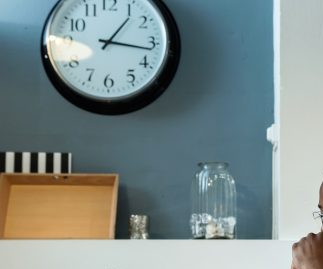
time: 1:16
